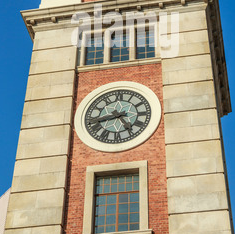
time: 8:24
